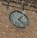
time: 1:22
